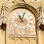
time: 11:03
